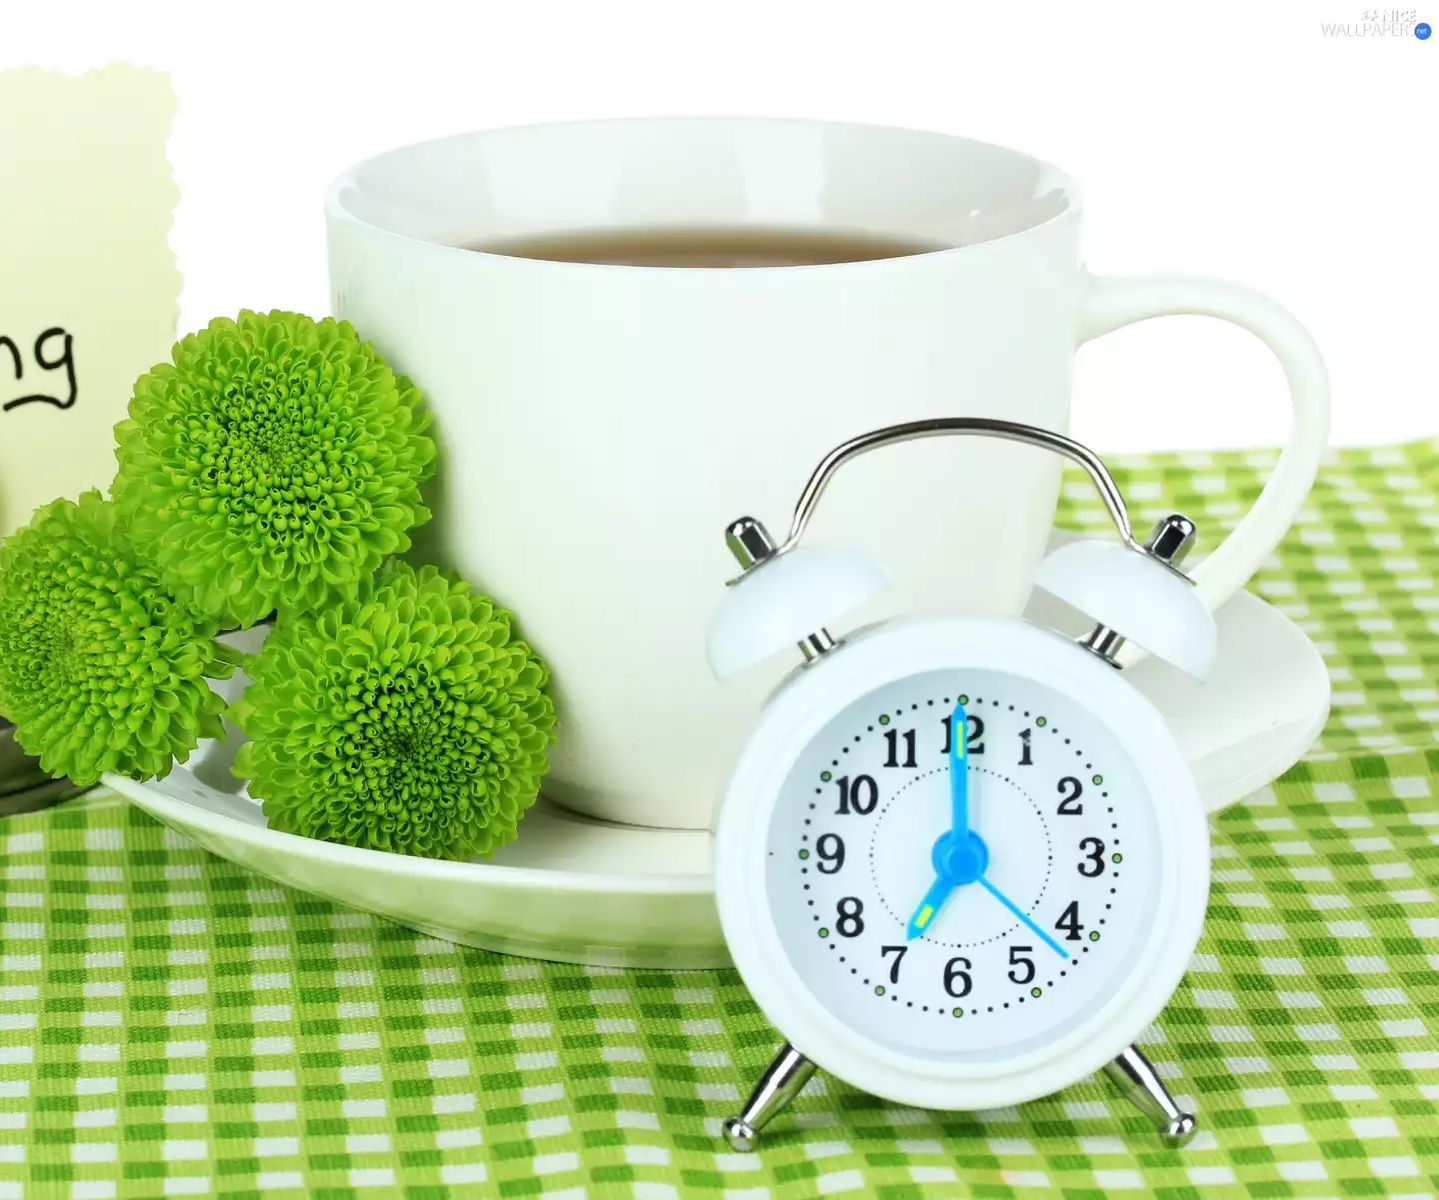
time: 7:00
